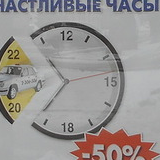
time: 10:36
